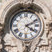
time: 4:10
